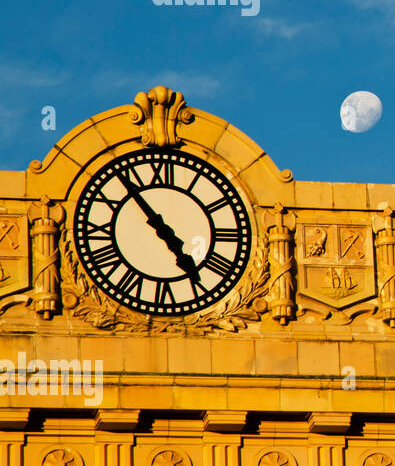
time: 4:53
